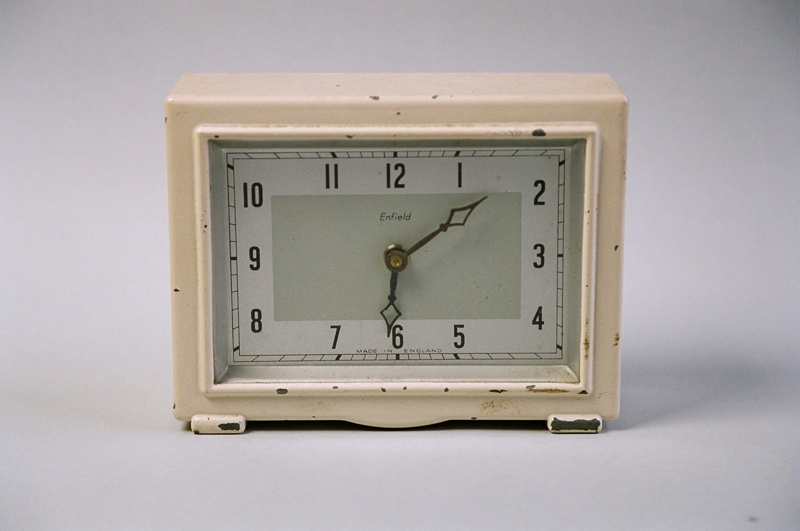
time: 1:30
